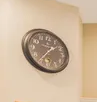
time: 1:36
